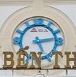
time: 5:13
